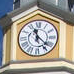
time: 11:21
